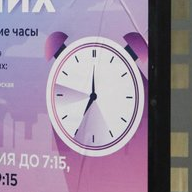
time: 7:00
